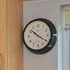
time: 10:20
